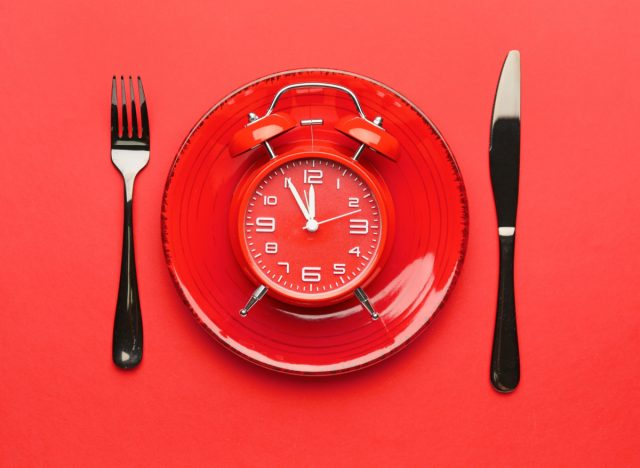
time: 11:55
